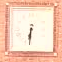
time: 6:31
